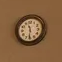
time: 11:31
